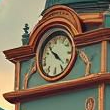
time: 4:22
